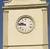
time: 9:45
